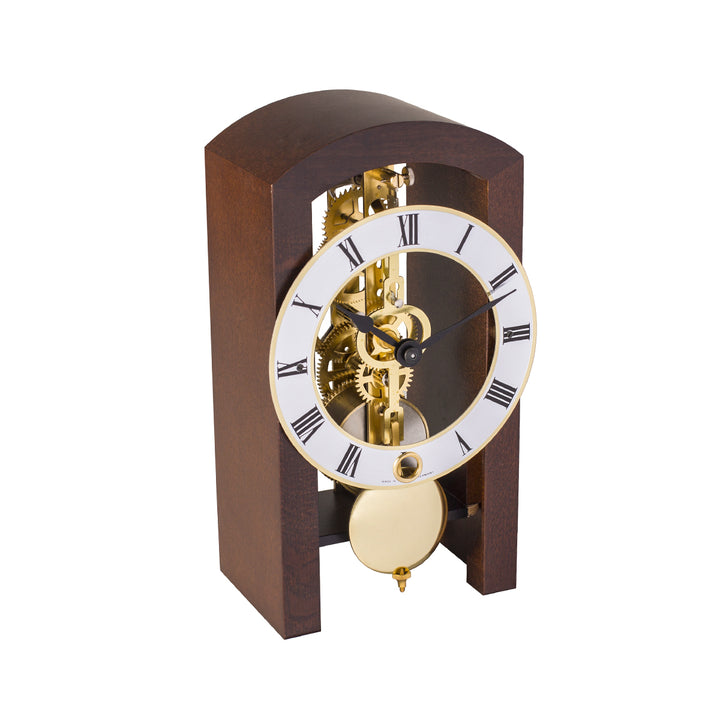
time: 11:49
